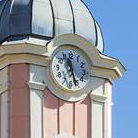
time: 11:26
